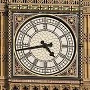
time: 4:43
